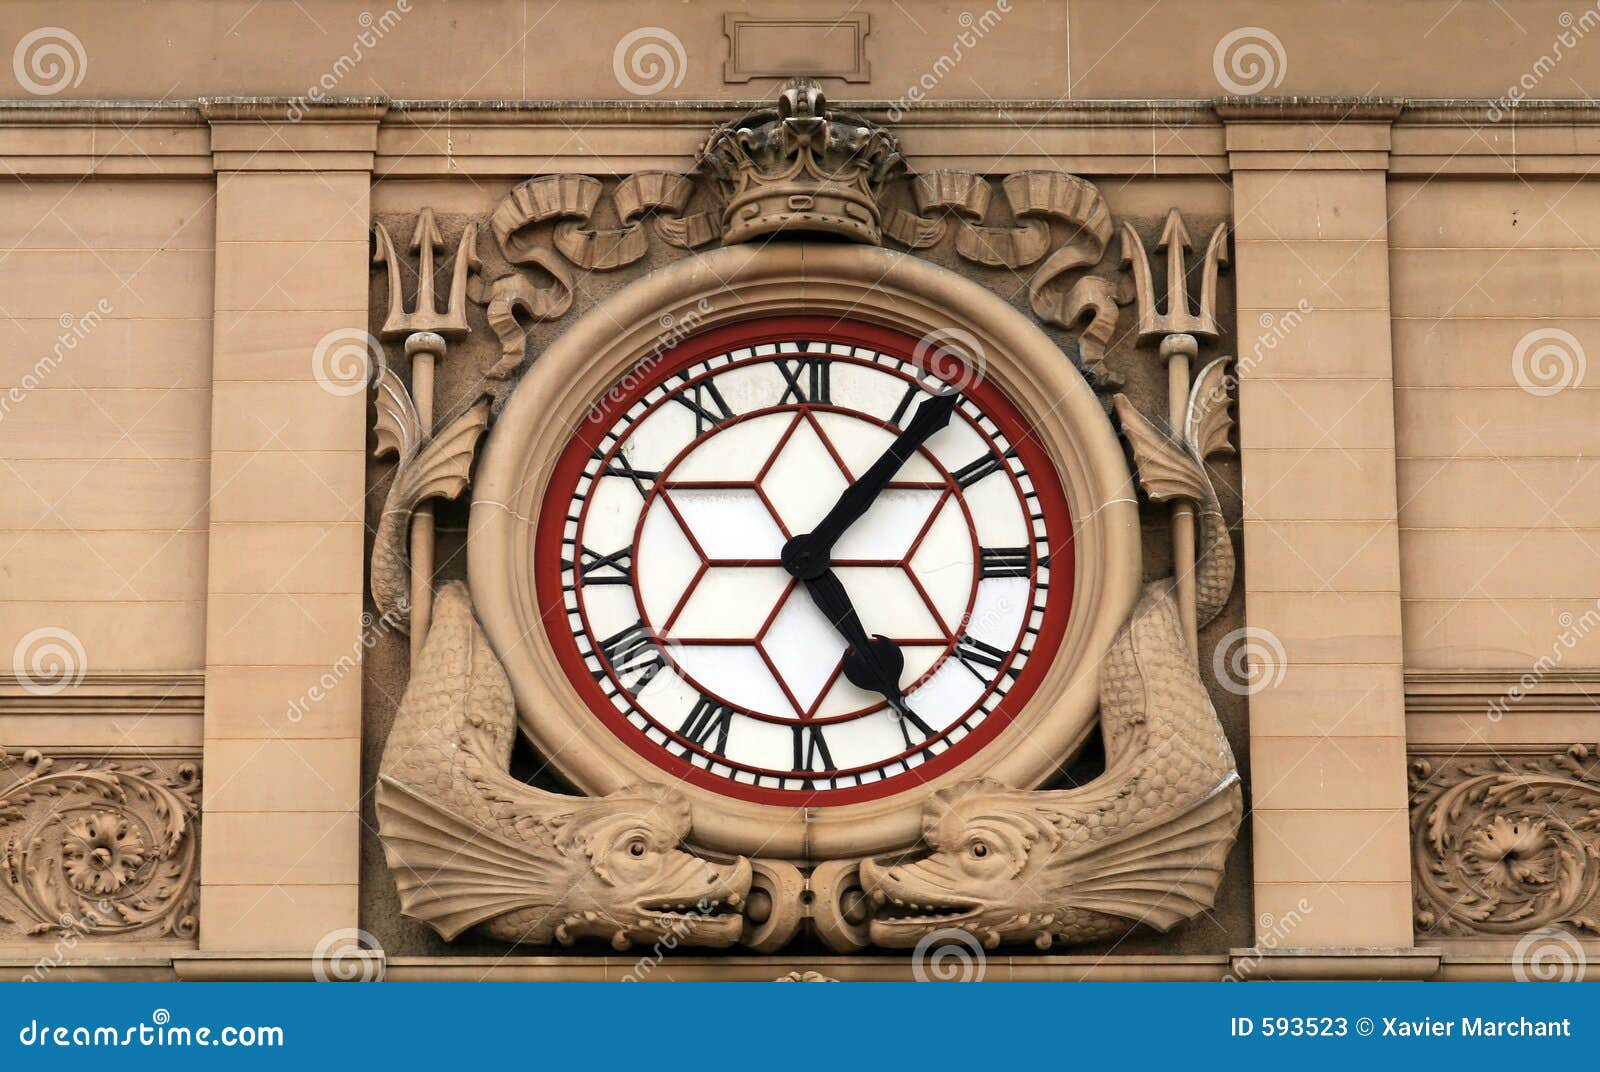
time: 5:06
